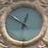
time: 12:50
